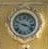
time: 3:48
